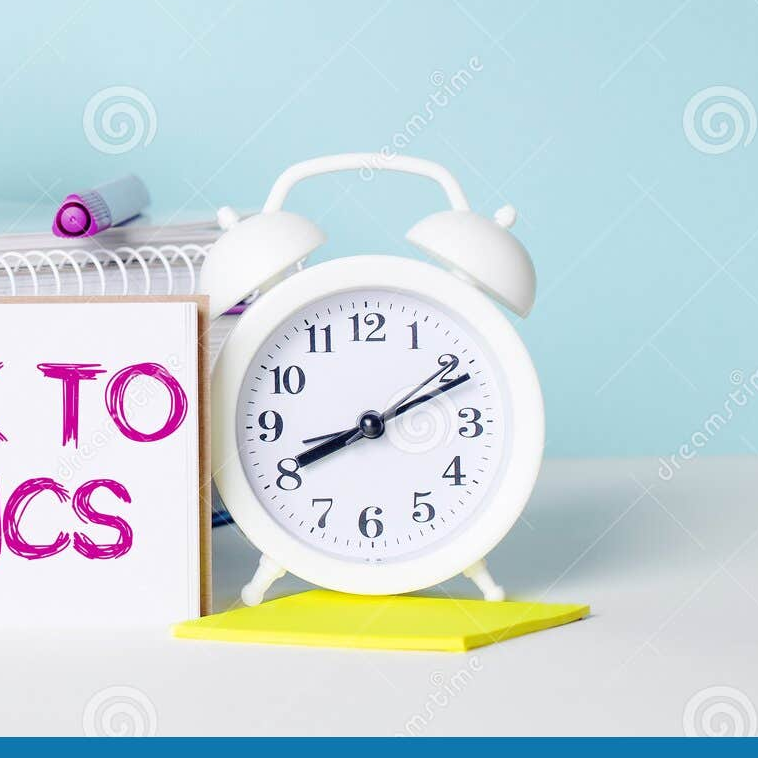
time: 8:11
